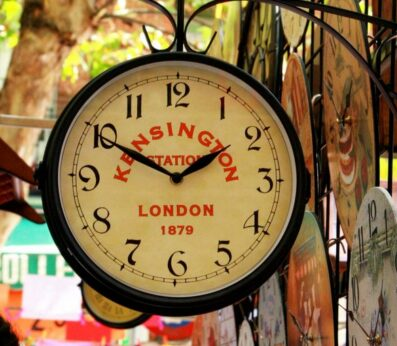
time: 1:49
